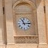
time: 11:13
